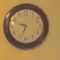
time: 9:33
